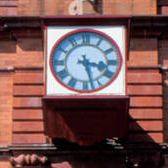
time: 3:27
